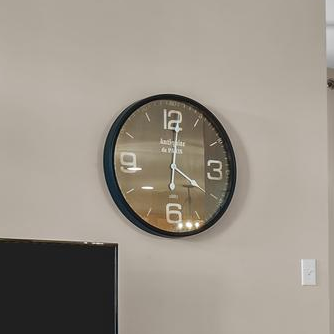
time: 4:00
